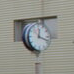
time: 12:18
